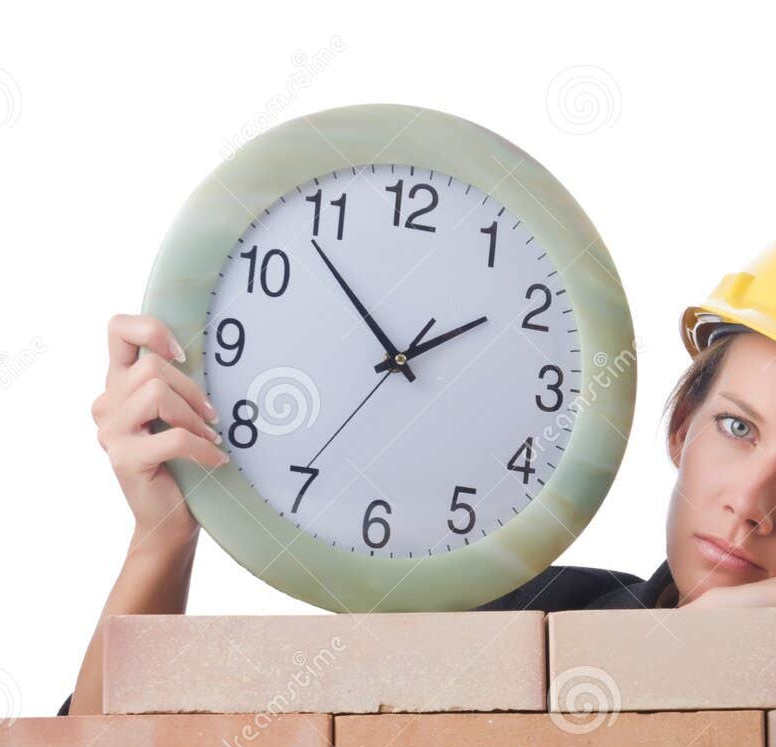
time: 1:53
